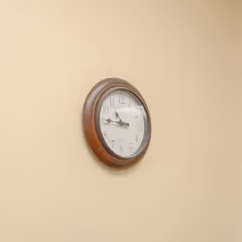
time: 10:45
